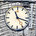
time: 11:18
